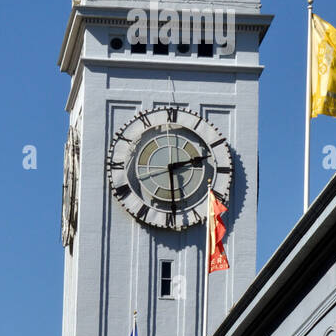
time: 2:29
